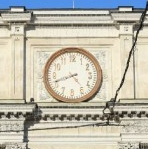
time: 4:41
